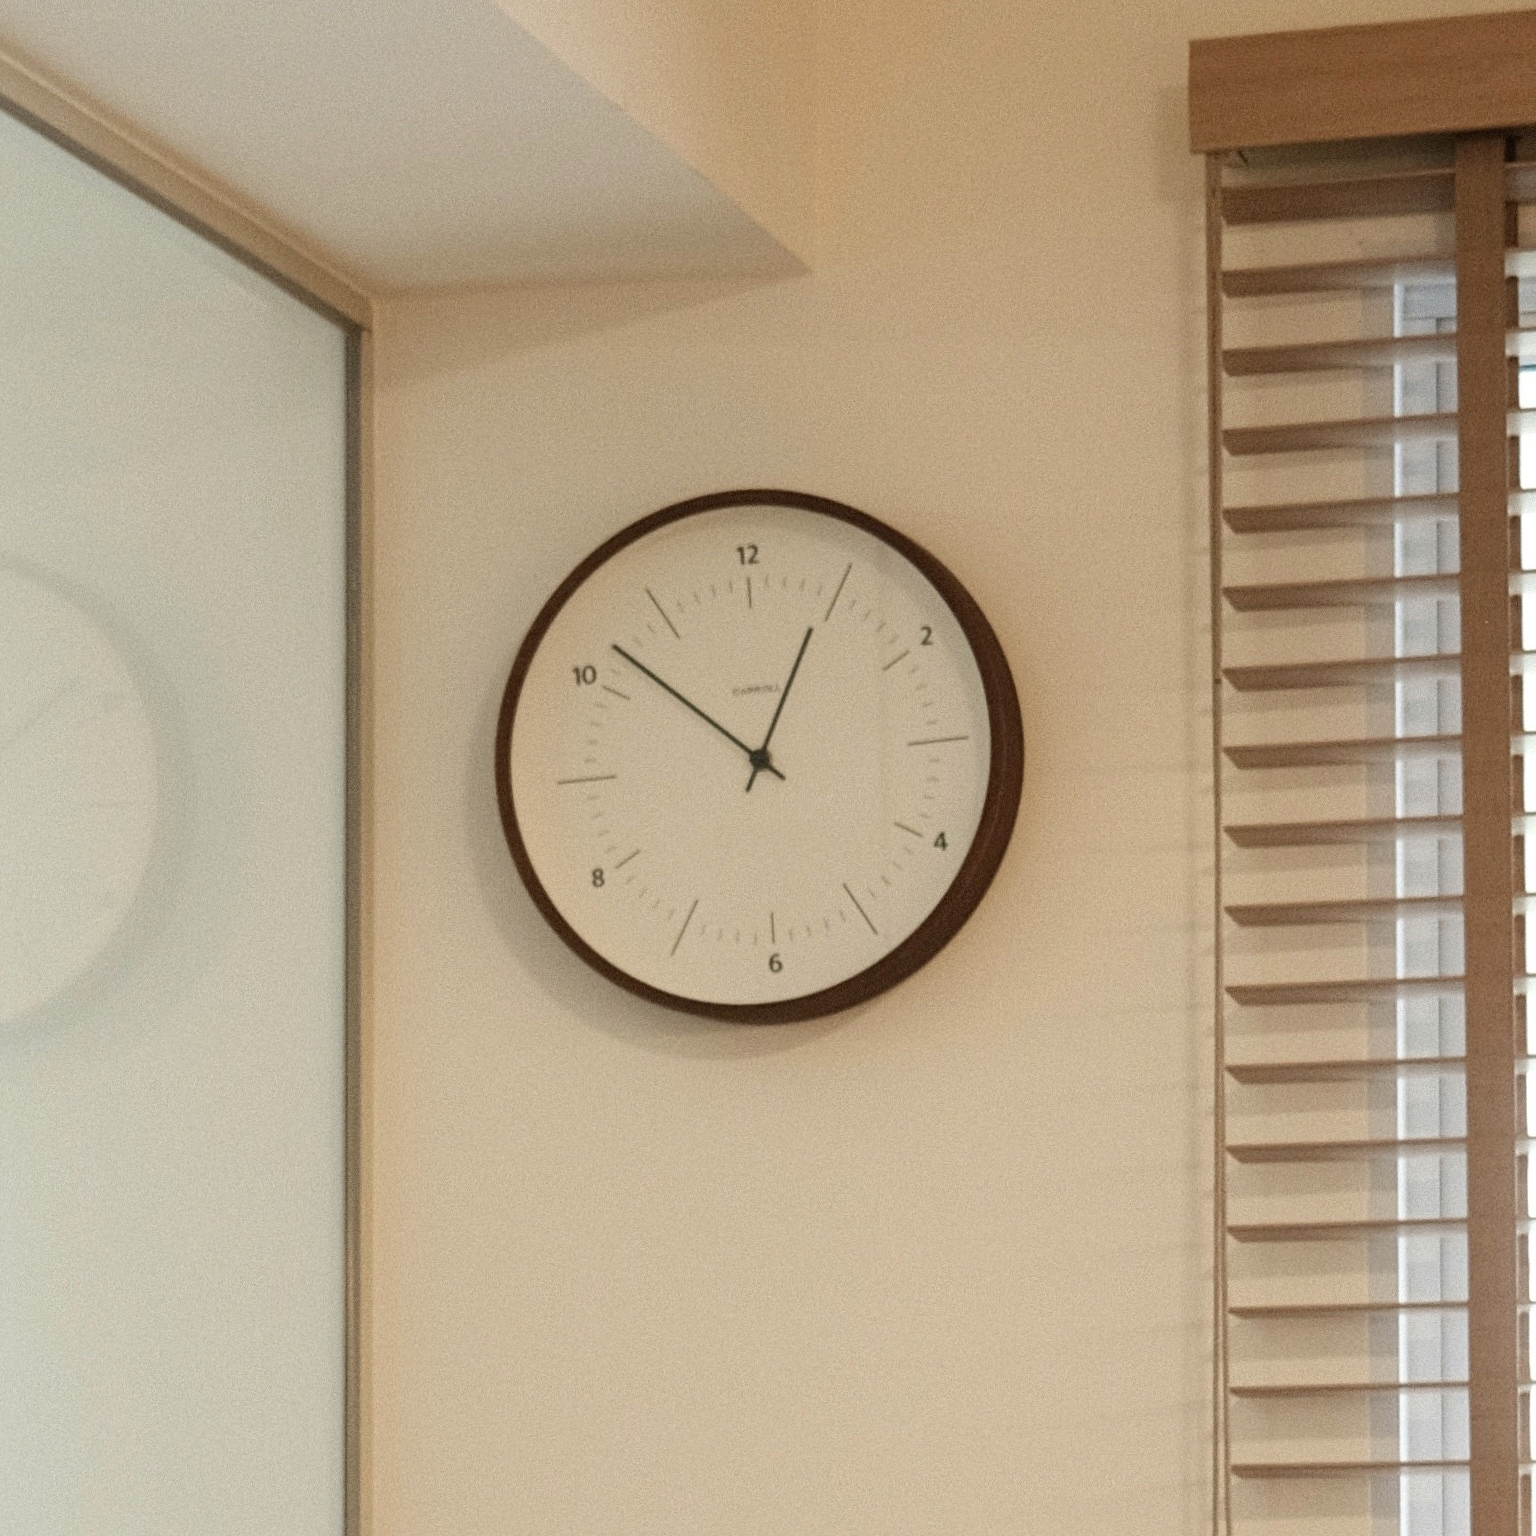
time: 12:52
